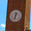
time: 12:32
